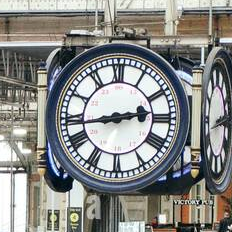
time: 2:43
